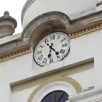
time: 6:23
